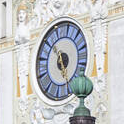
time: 5:26
